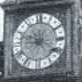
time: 9:01
